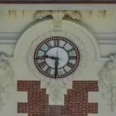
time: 9:30
